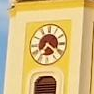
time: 7:21
